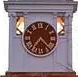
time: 7:23
